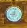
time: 9:02
